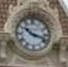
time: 10:17
